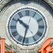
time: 10:32
